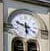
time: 5:48
